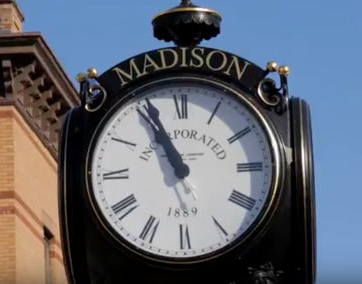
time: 10:56
